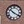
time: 10:20
